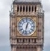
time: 12:32
